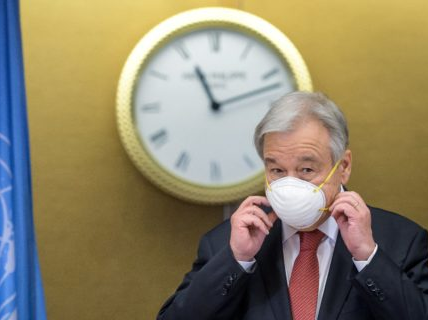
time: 11:11
